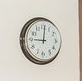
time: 9:01
